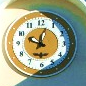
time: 10:02
